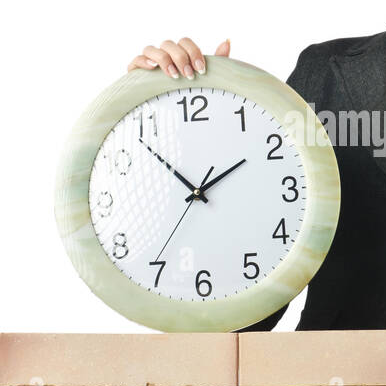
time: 1:53
